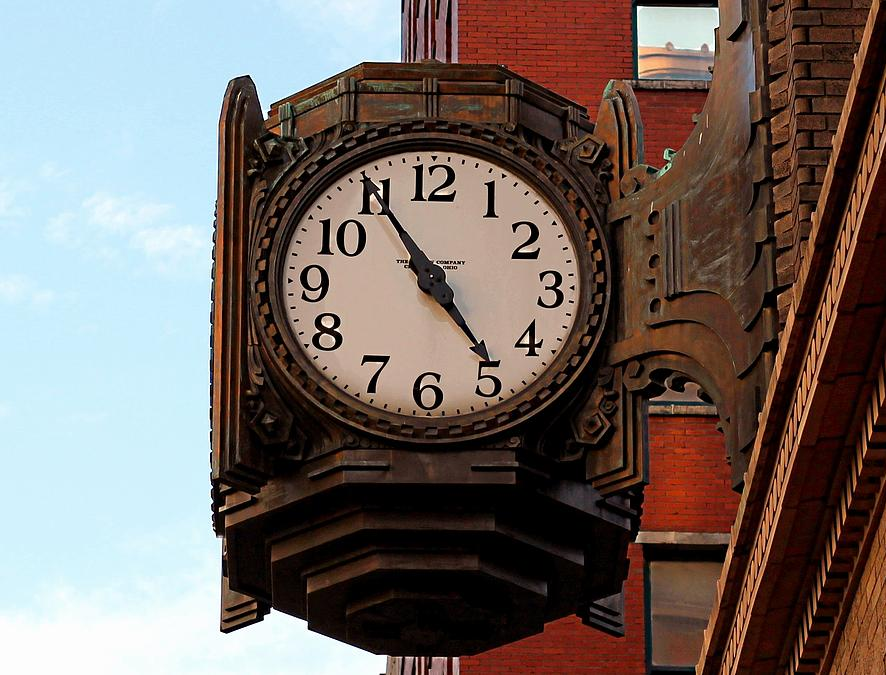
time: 4:54
